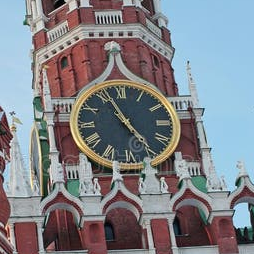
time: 4:56
